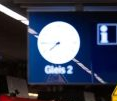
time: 7:45
